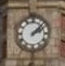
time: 2:07
